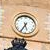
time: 5:35
